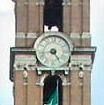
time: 4:42
